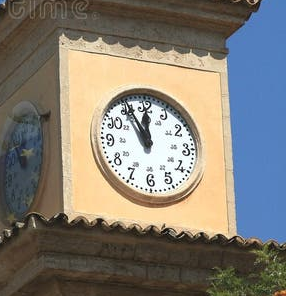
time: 11:55
